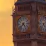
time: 4:37
